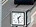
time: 1:28
